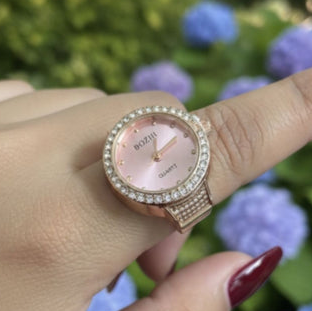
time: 12:08
